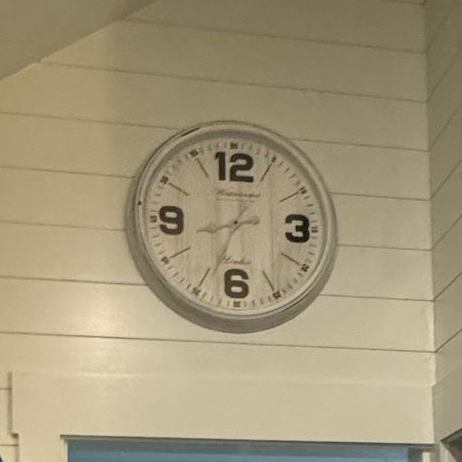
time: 8:33
